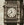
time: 11:38
